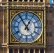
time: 12:54
